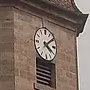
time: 4:08
